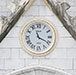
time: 11:19
